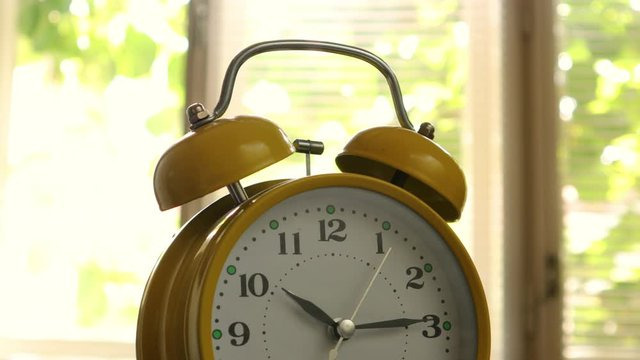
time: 10:14
